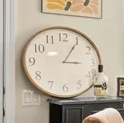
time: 3:05
